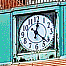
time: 12:21
